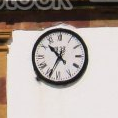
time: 10:34
